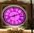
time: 8:12
